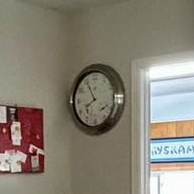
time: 7:55
